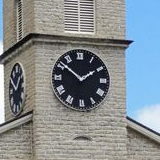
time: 1:51
